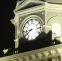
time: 8:38
